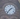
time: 1:36
